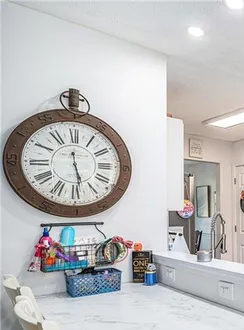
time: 5:28
